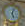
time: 5:03
